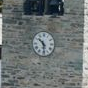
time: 10:28
